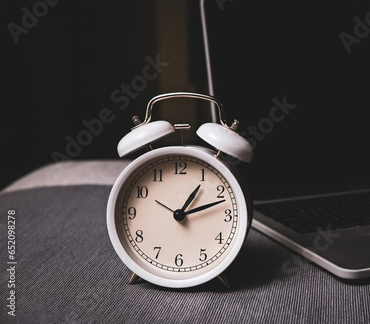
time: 1:11
